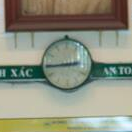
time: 2:44
